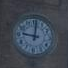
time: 9:01
